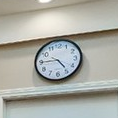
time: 4:44
